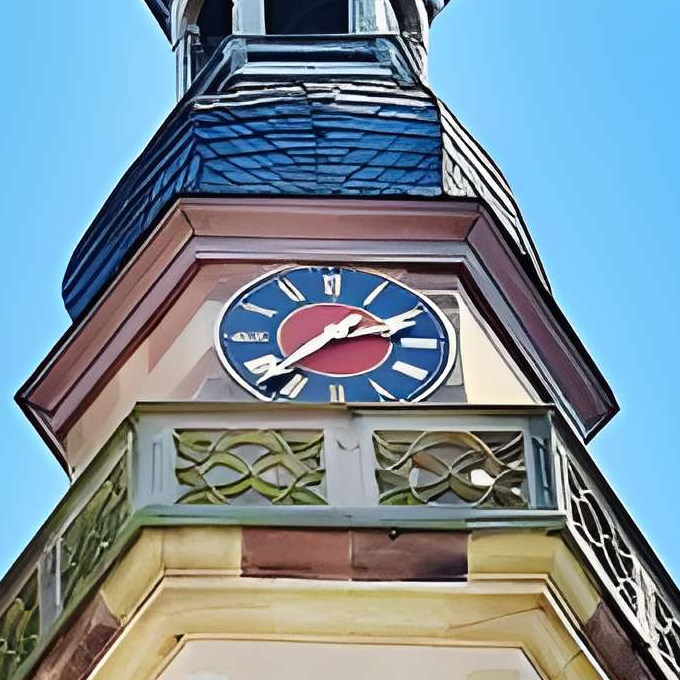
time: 2:37
